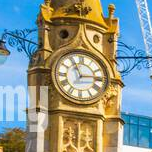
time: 11:13
